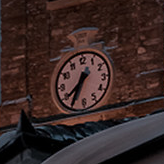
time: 7:34
